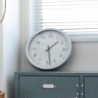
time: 1:28
